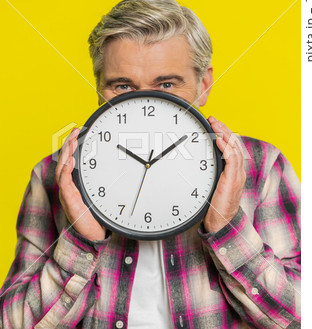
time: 10:08
